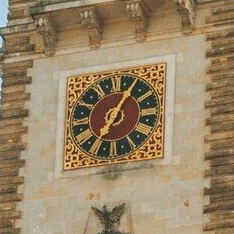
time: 7:05
